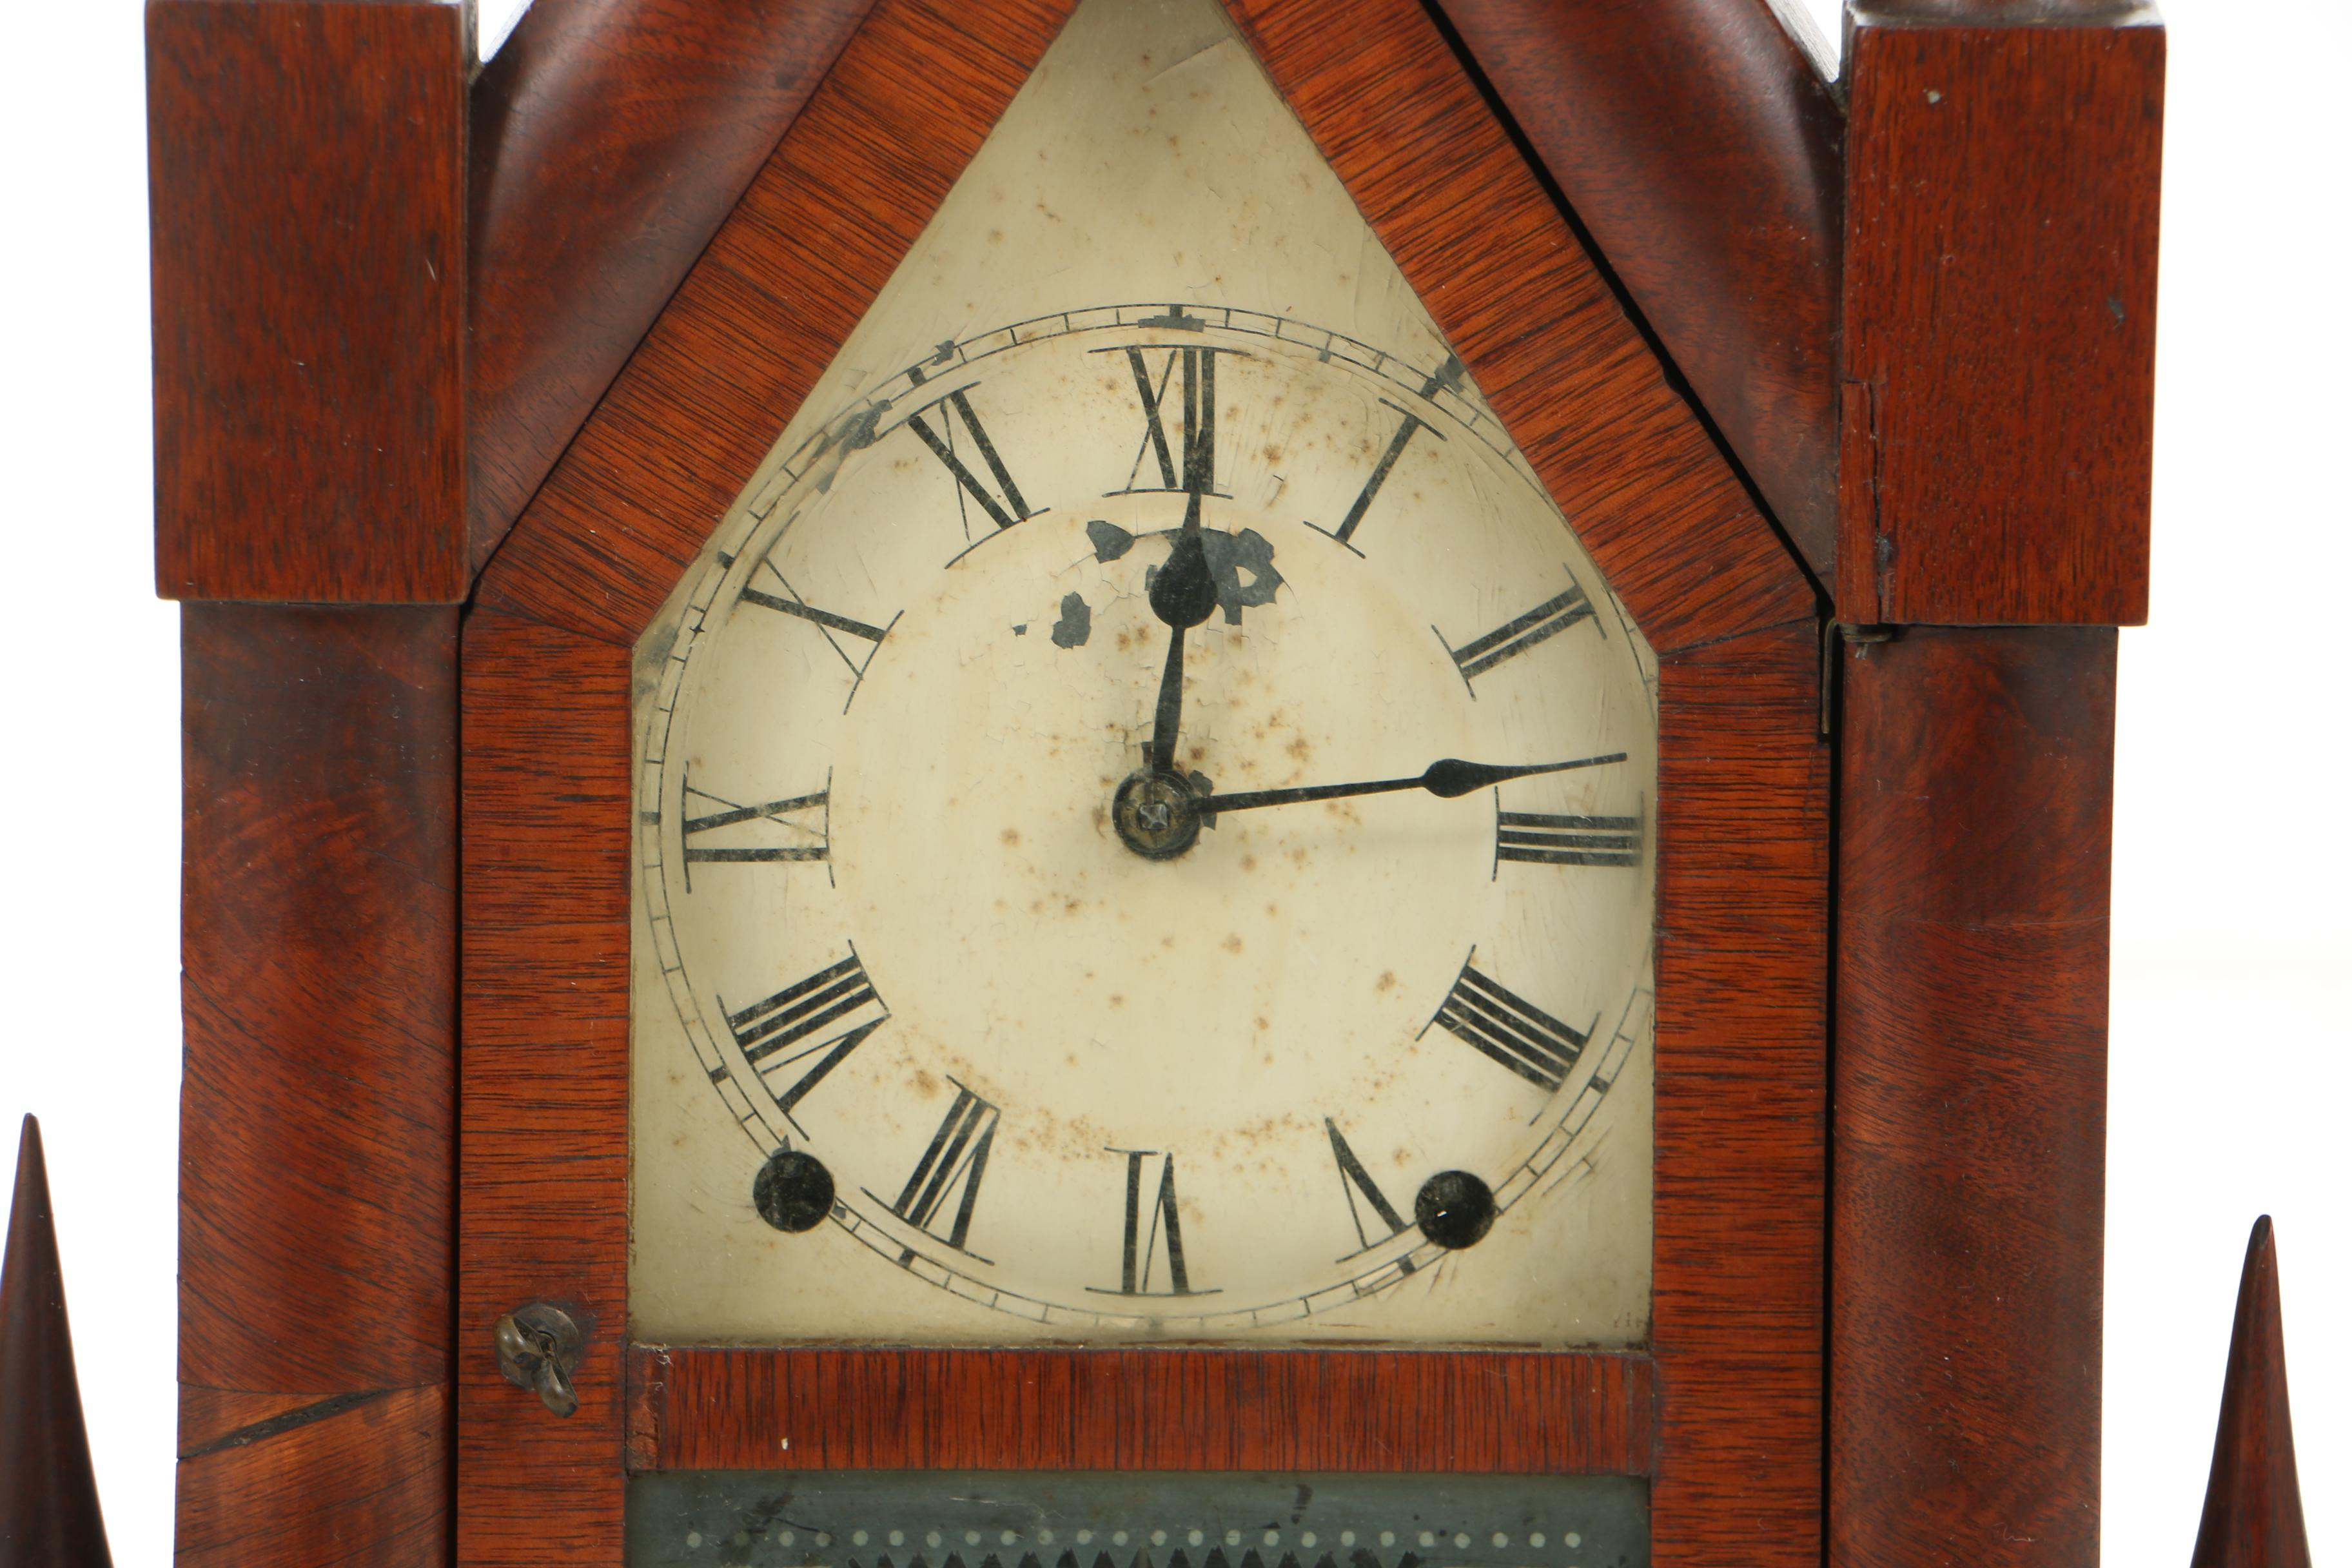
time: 12:13
